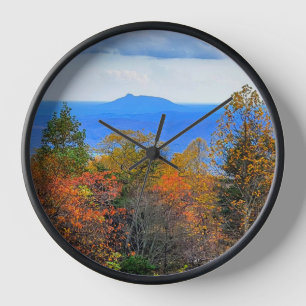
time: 12:49
